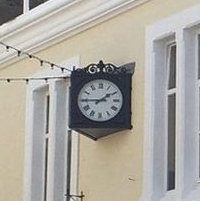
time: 1:45
